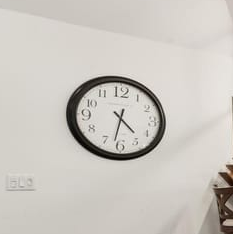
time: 4:31
